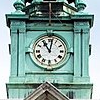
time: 11:01
